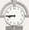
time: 8:45
